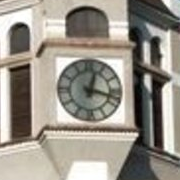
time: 12:17
